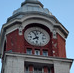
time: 7:55
